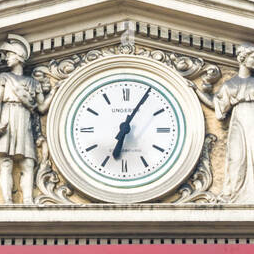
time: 6:34
